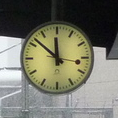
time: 11:51
